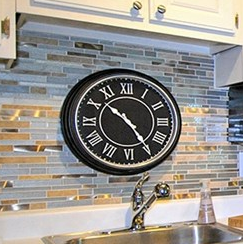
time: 10:24
